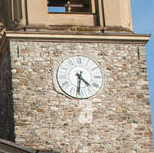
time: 4:31
